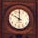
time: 10:00
